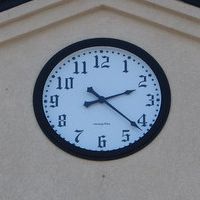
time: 2:21
